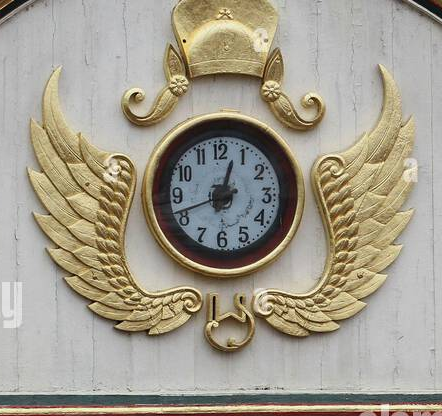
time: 12:41
